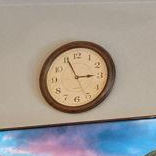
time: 2:55
